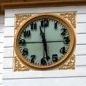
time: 11:28
